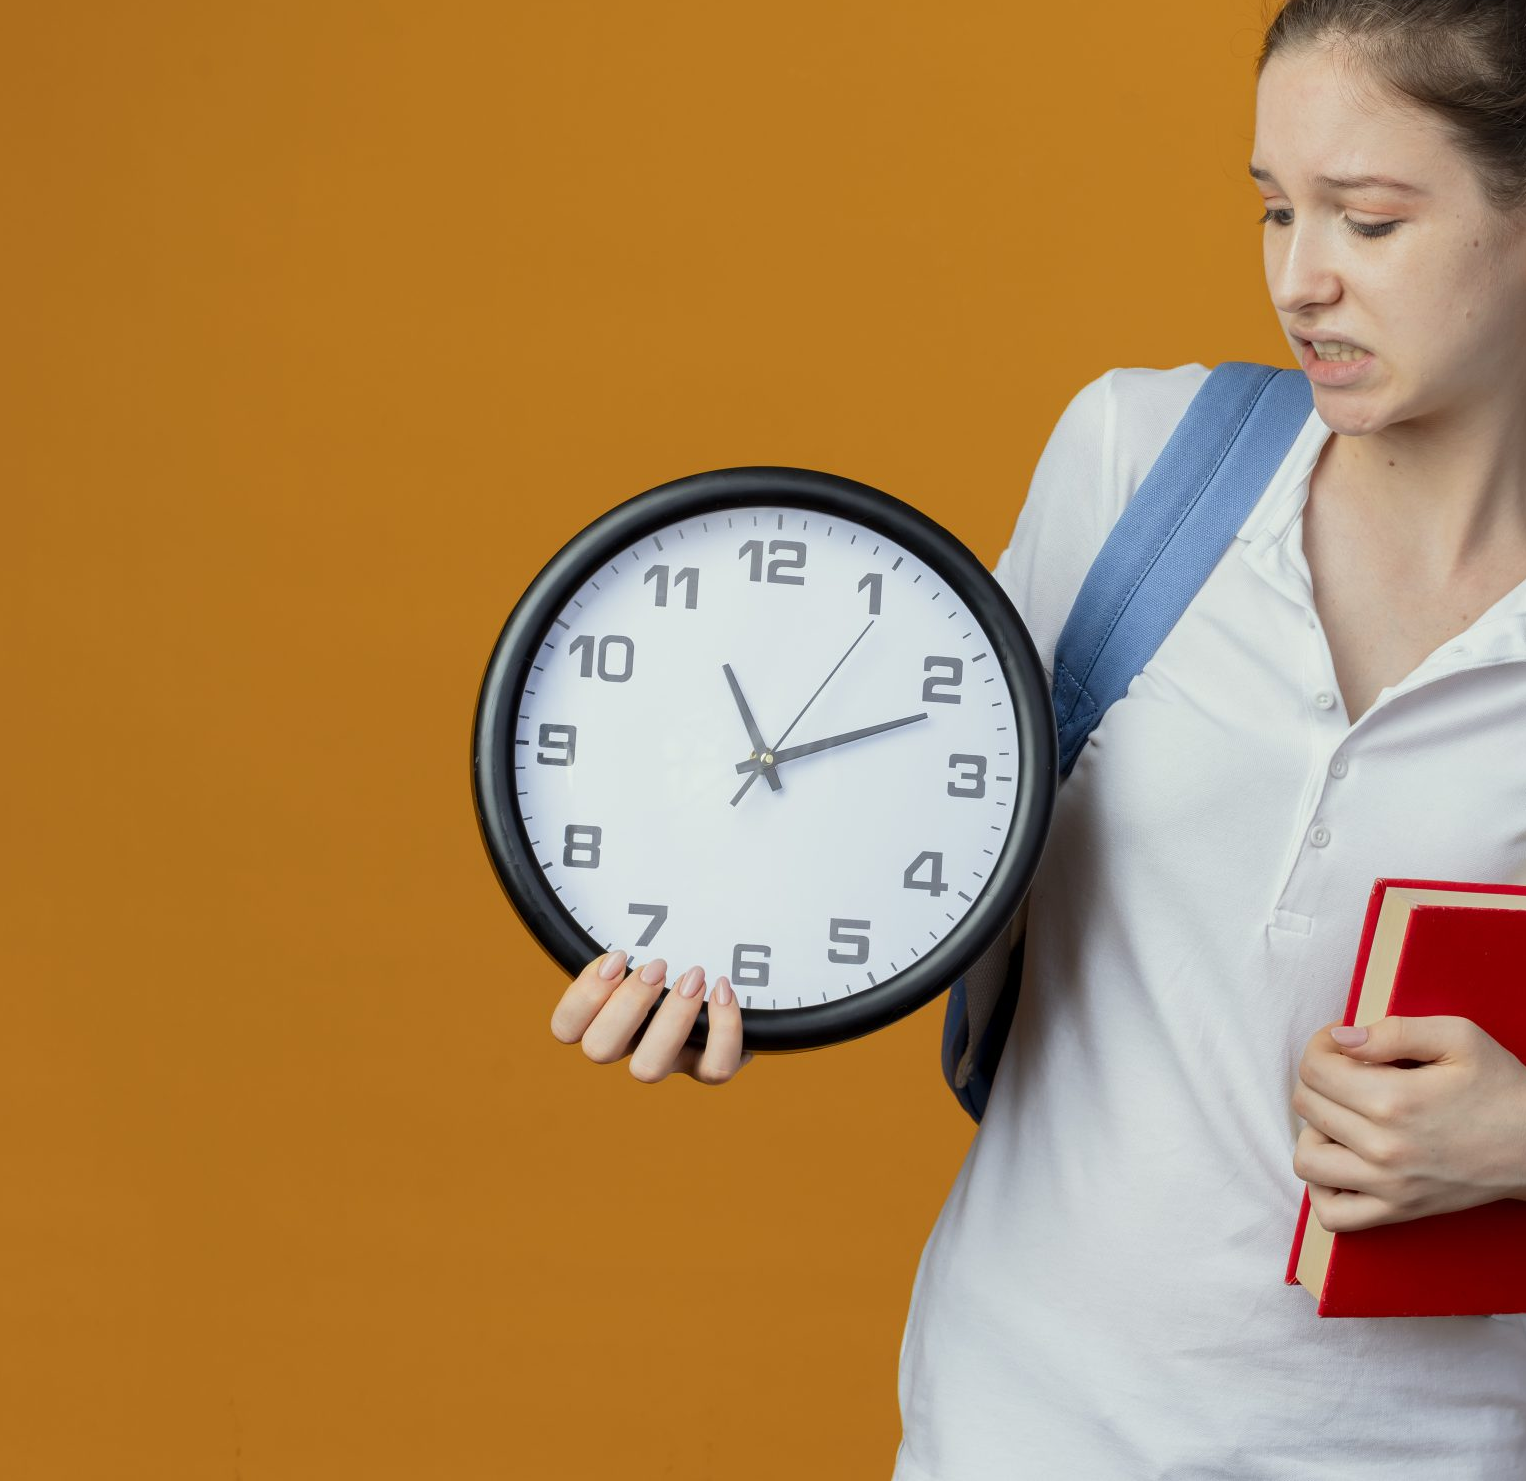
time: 11:11
